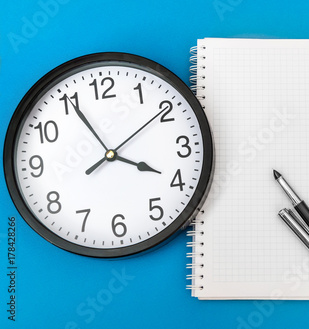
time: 3:55
